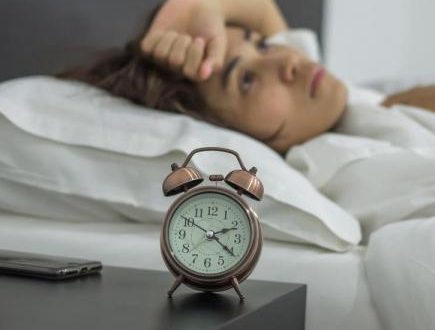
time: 2:21
